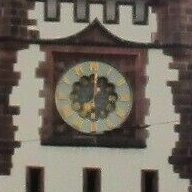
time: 12:00
